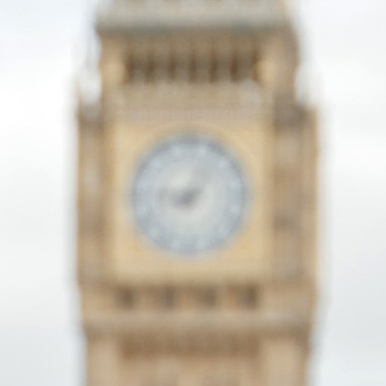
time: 9:05
